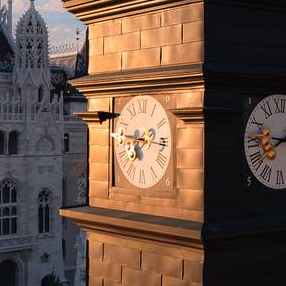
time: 7:15
